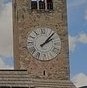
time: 2:07
